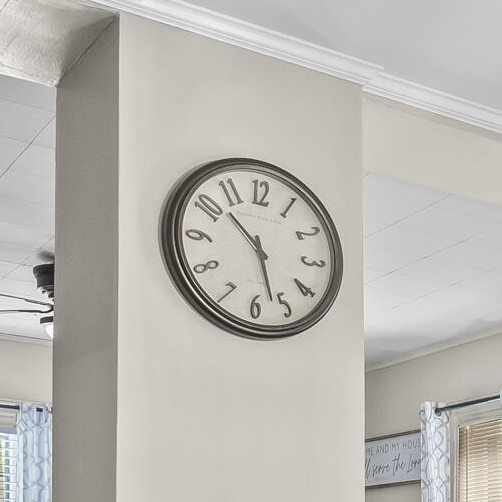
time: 10:27
